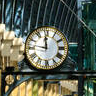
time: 11:46
